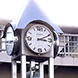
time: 3:10
